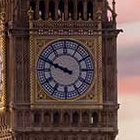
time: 9:48
